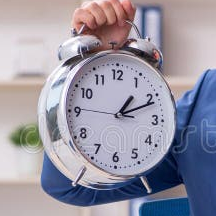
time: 1:11
